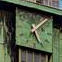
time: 5:06
